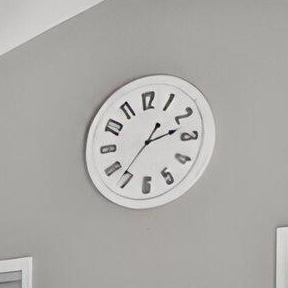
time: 2:36
